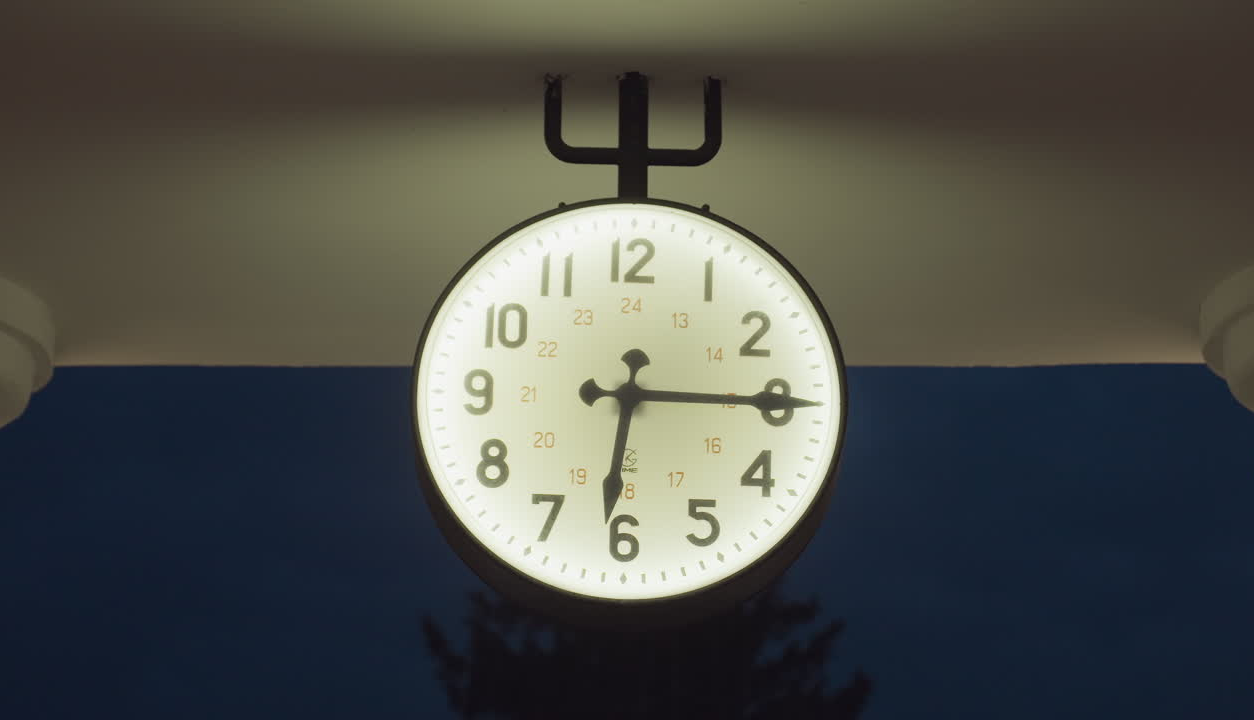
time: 6:15
